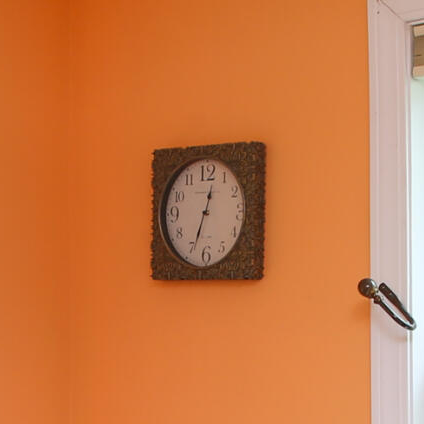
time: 12:33
